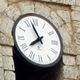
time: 7:57
